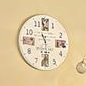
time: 11:29
